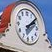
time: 2:09
